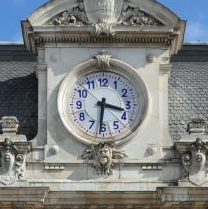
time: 3:31
